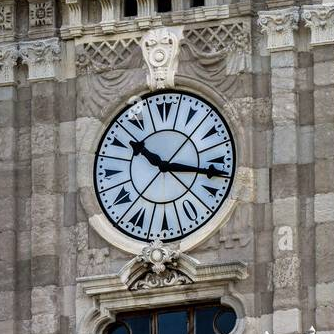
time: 10:17
